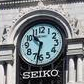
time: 10:32
